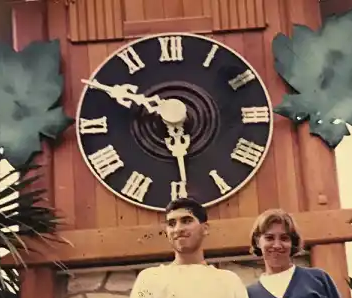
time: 5:50
